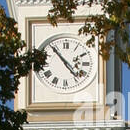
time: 4:53
